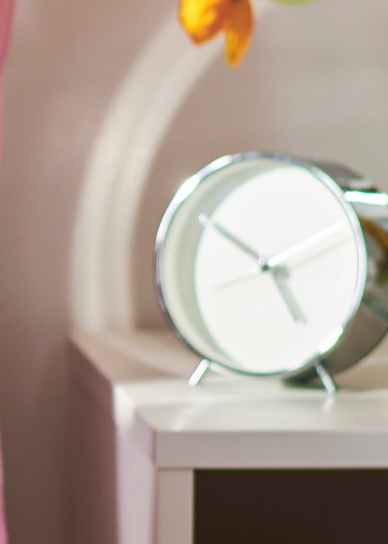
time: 4:50
